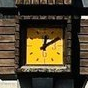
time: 12:10
